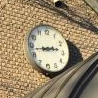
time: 2:43
